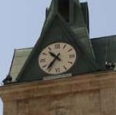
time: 10:36
